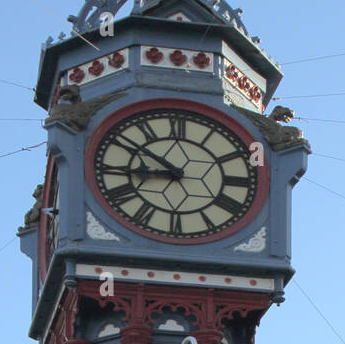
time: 8:51
